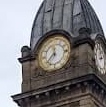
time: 11:36
